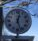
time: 12:26
